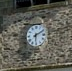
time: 6:10
